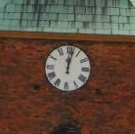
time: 12:01
